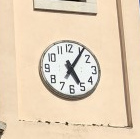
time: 5:06
